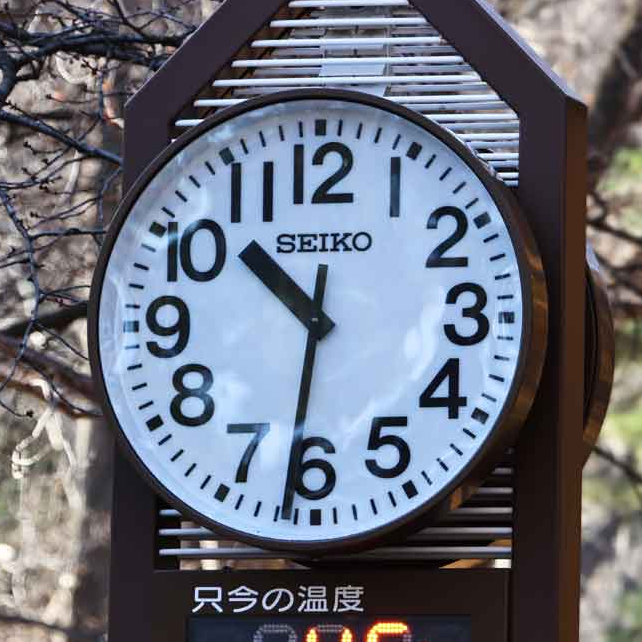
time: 10:31
